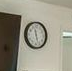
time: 11:26
